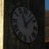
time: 11:07
